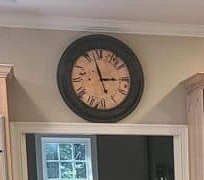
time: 2:57
